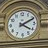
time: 4:10
